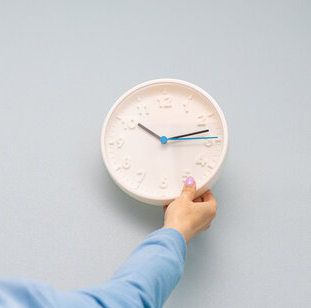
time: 10:12
